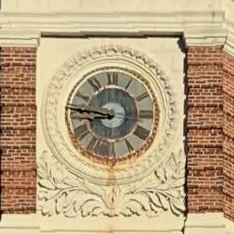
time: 8:46
